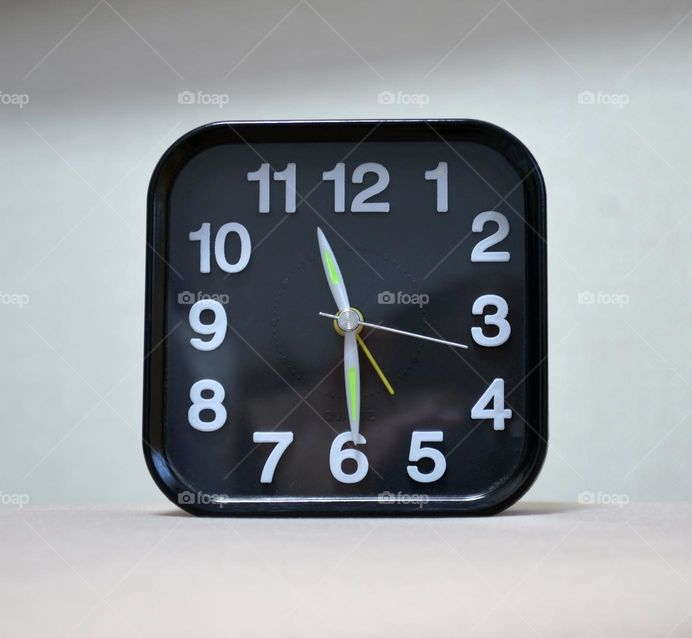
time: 11:29
